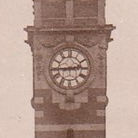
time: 2:44
